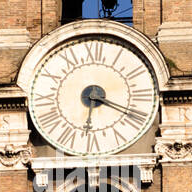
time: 6:19
